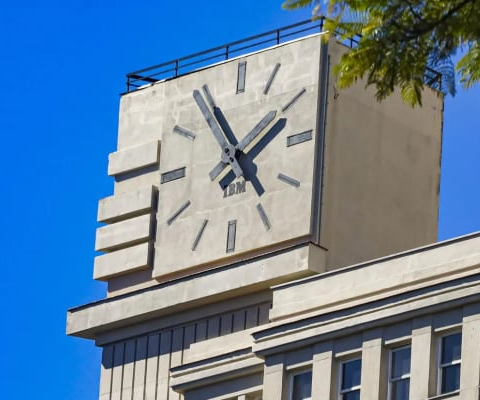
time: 1:54
